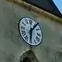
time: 6:06
